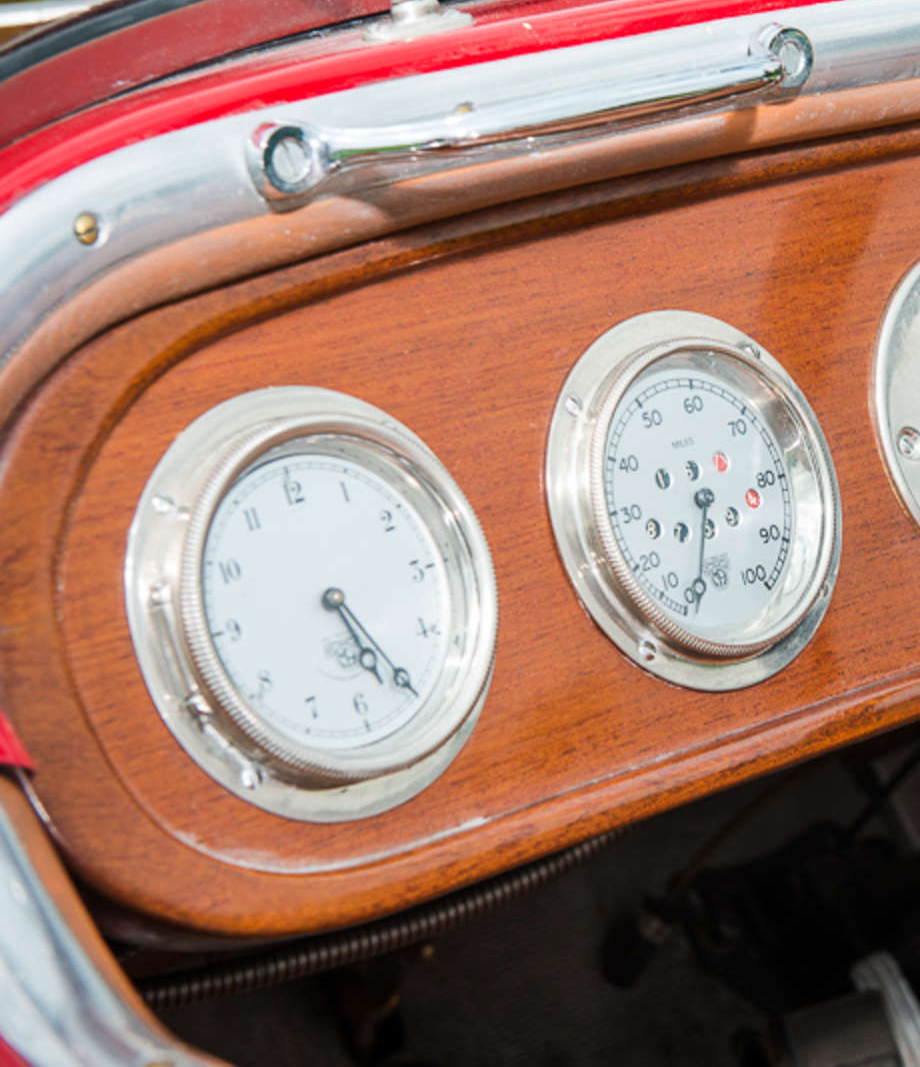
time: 5:25
